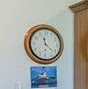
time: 11:22
